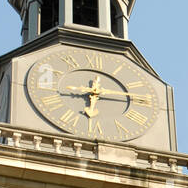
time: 6:15
